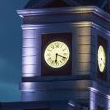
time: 6:18
